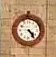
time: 4:23
